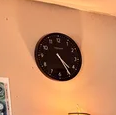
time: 4:24
